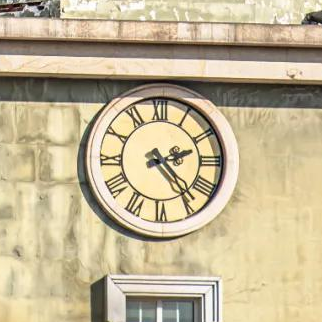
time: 2:23
